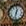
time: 12:32
